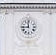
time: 11:44
